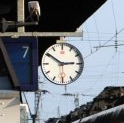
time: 2:50
